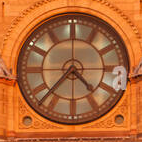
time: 4:37
